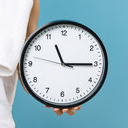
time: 11:14
